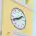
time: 1:41
